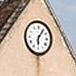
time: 6:05
